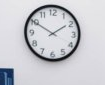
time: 1:50
